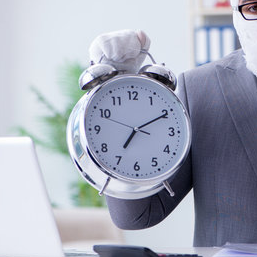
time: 7:10
